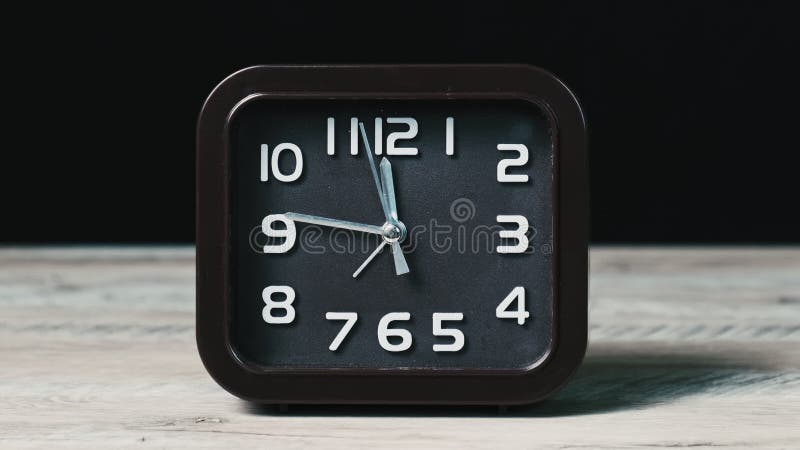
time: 11:46
